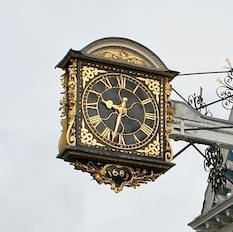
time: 9:32
